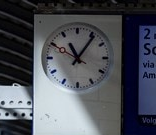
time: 11:06
